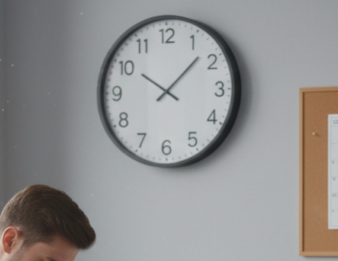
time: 10:07
